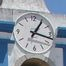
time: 1:16
